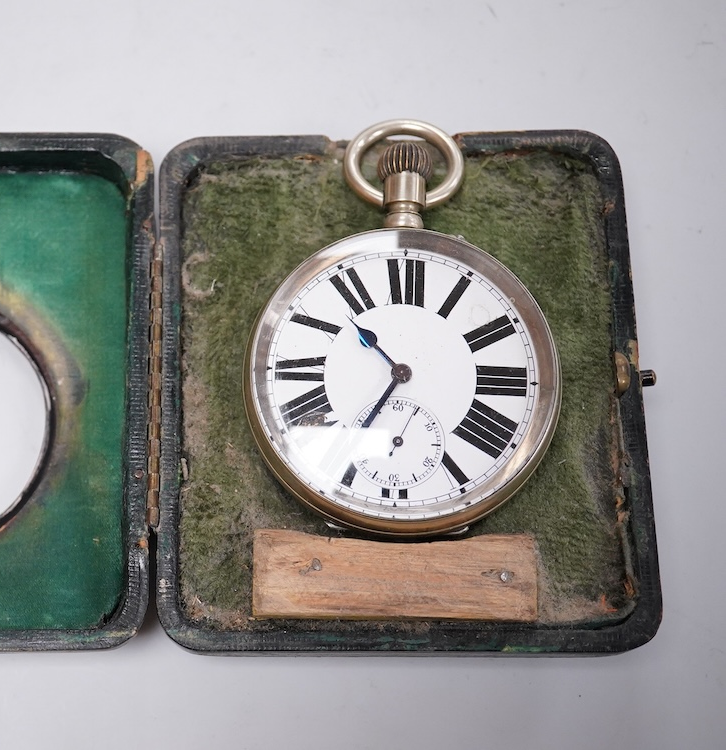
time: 6:52
